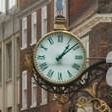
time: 1:08
